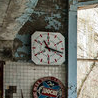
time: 11:17
